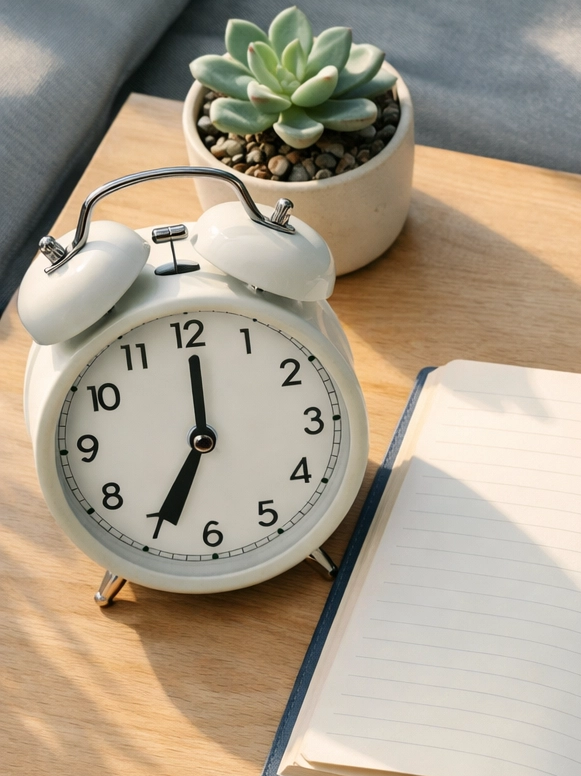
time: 7:00
